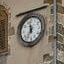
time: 11:35
